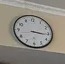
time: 3:15
